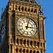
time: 3:02
